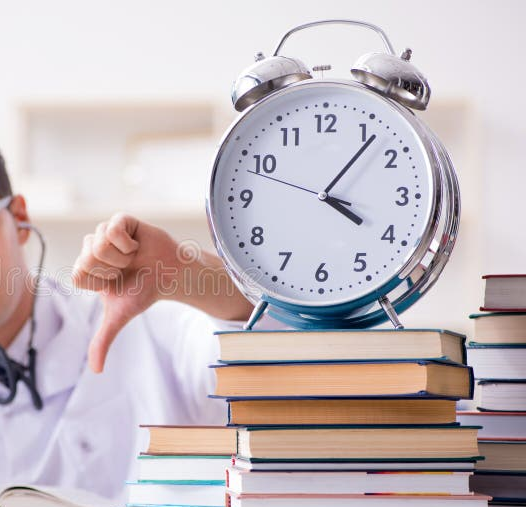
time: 4:06
